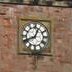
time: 12:41
